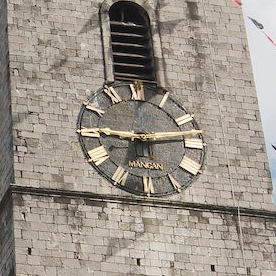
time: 9:13
